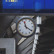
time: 11:21
